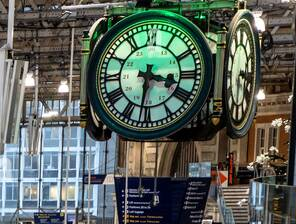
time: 3:31
